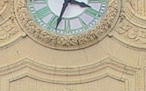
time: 3:33
